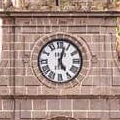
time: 5:02
